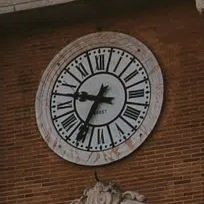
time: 9:34
